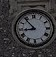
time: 8:53
